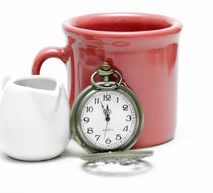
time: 11:56
